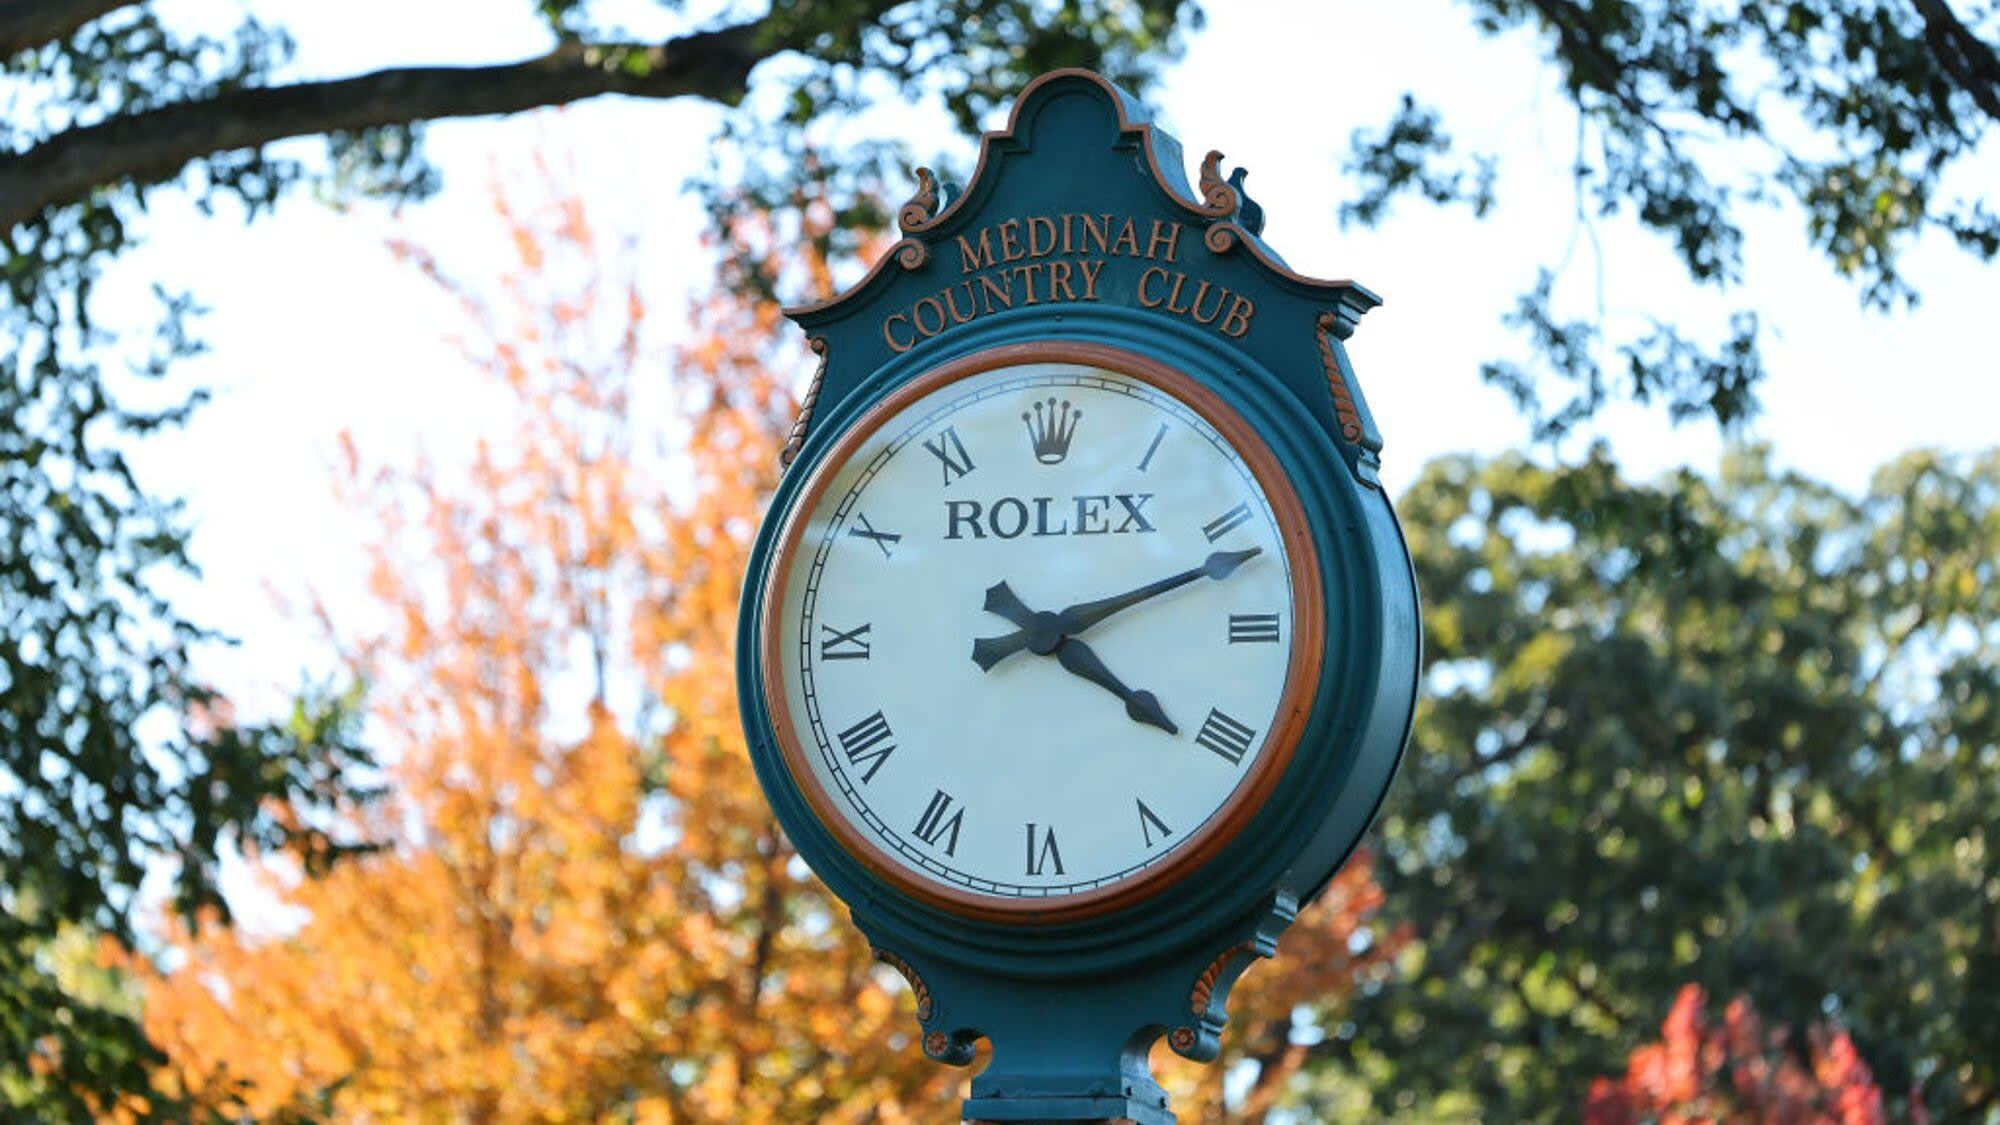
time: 4:11
